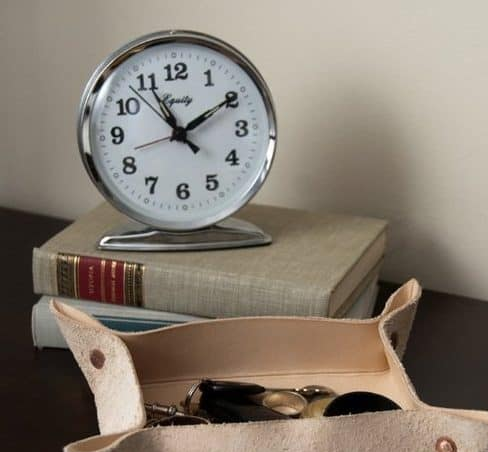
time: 11:09
